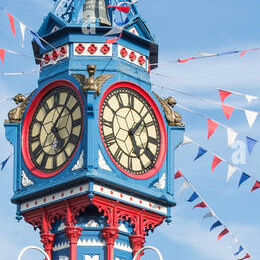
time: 5:06
